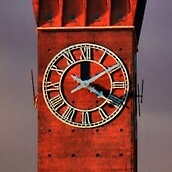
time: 4:09
